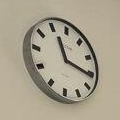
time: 11:16
